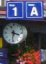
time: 3:31
